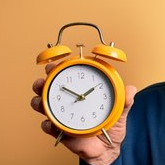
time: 1:50
